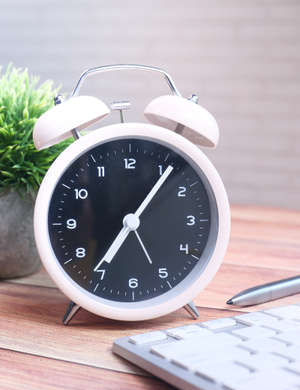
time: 7:06
